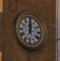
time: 12:00
